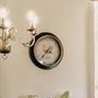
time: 3:37
